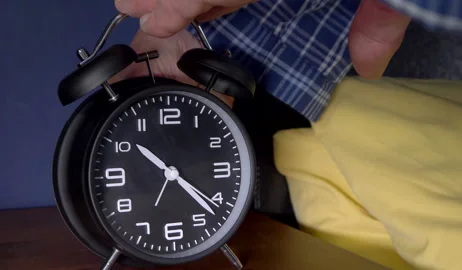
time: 10:22
